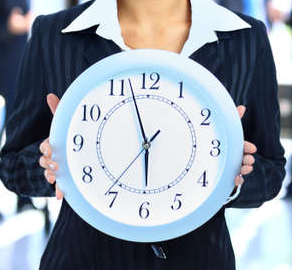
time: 5:57
